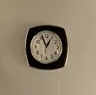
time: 12:56
